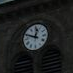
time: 12:48
